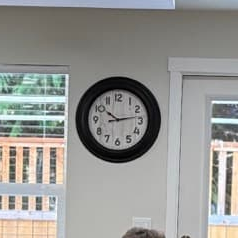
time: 10:13
